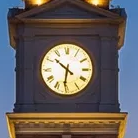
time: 10:31
